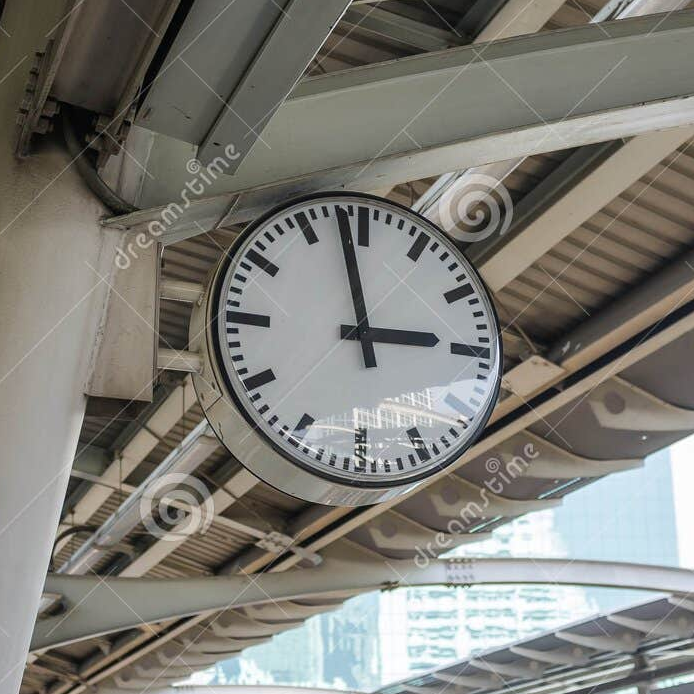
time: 2:58
